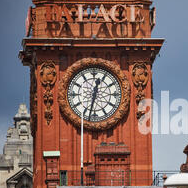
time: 12:32
